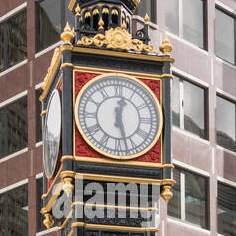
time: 12:27
